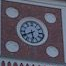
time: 5:40
